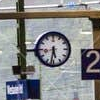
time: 5:31
